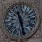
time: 11:28
